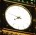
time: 7:48
